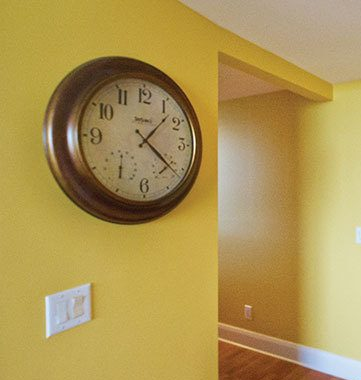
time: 1:21
